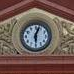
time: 6:03
